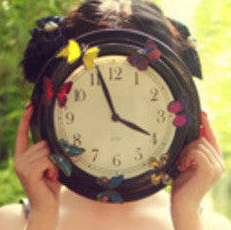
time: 3:57
